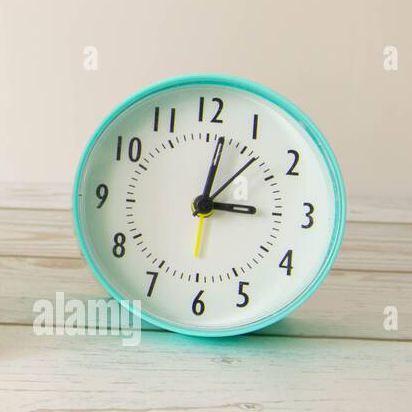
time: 3:01
